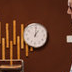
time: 1:00
